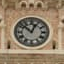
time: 12:52
